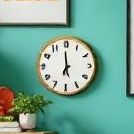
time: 6:59
